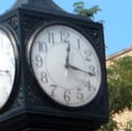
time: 12:16
